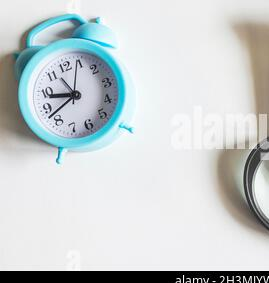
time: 9:42
